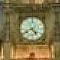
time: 4:40
